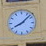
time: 8:07
